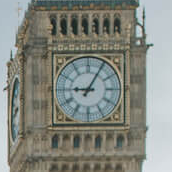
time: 9:05
